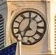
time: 7:01
